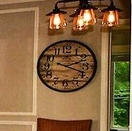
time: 2:18
